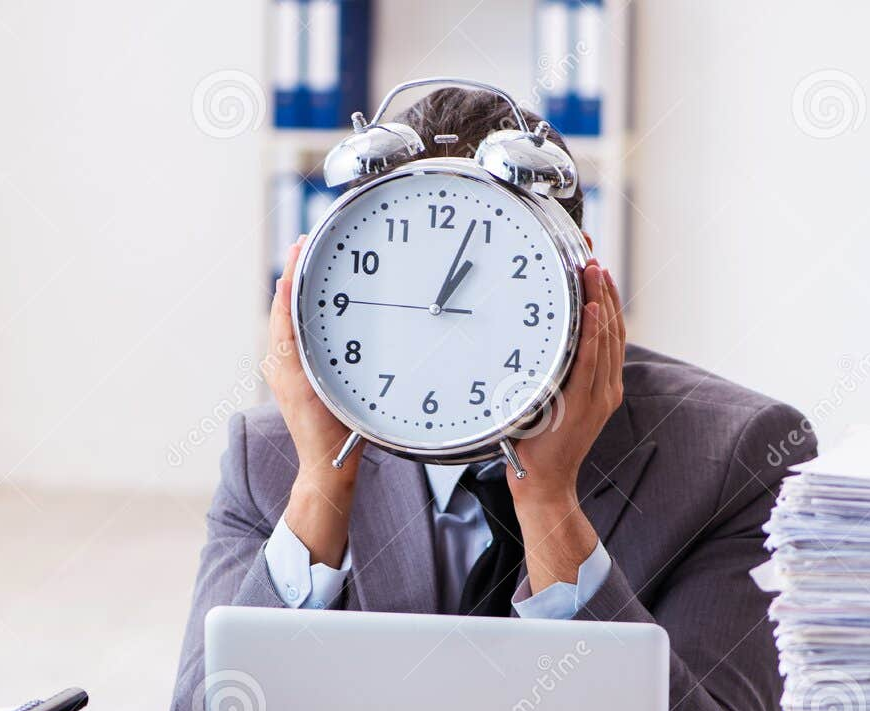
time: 1:03
